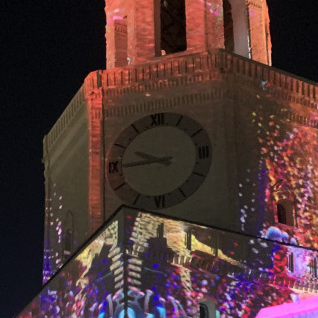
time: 9:44
